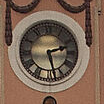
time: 2:27
